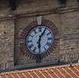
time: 6:05
